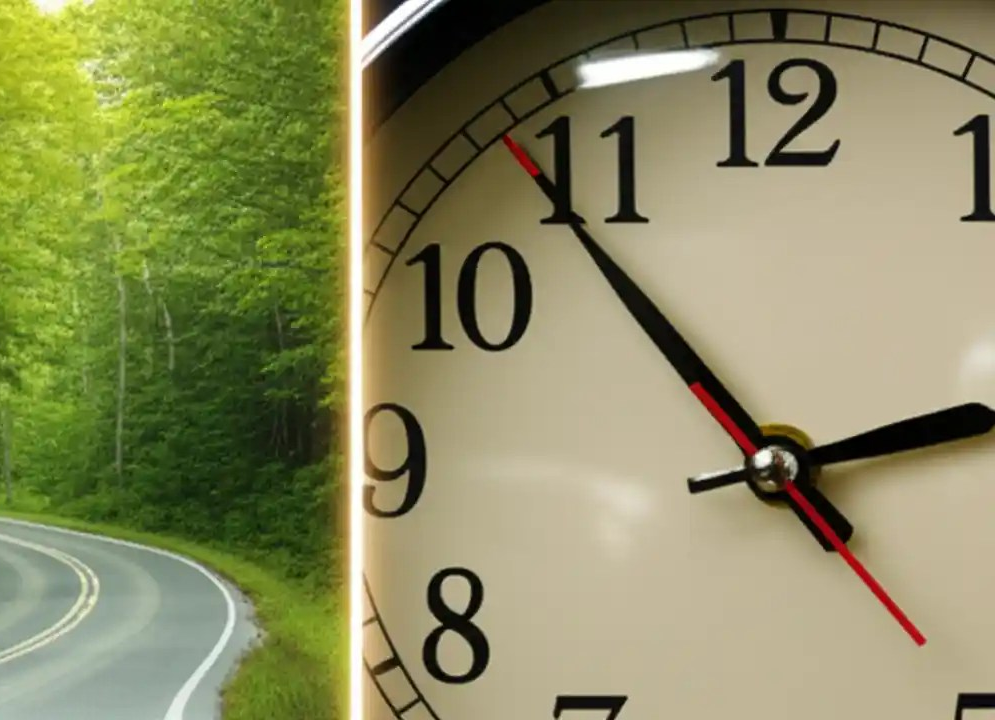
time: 2:53
